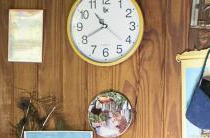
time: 10:40
